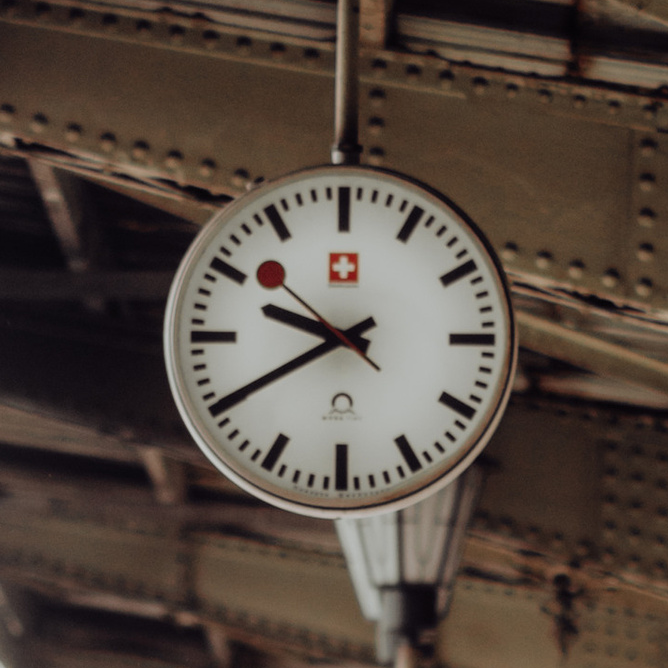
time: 9:40
